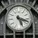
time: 5:18
